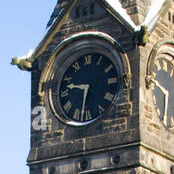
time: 9:32
